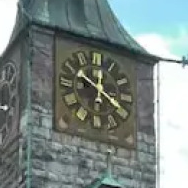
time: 10:20
